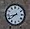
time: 7:42
